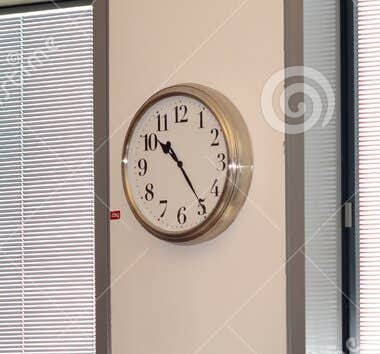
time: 10:24
